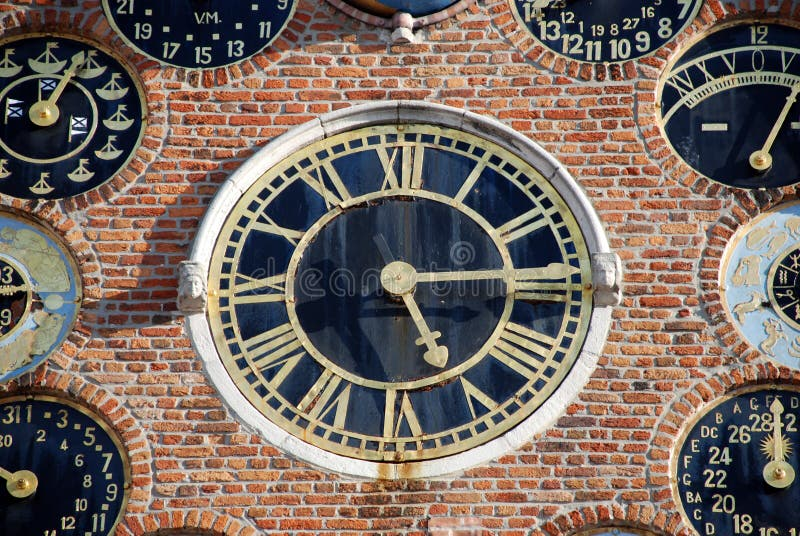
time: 5:14
